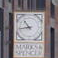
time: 10:43
